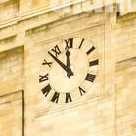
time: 11:52
